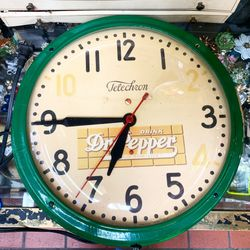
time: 6:44
